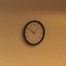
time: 10:06
